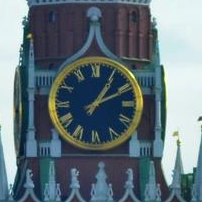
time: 1:10
